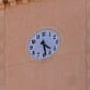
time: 4:28
